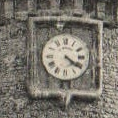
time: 4:20
